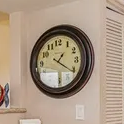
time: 1:20
